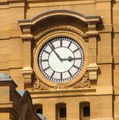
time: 2:53
